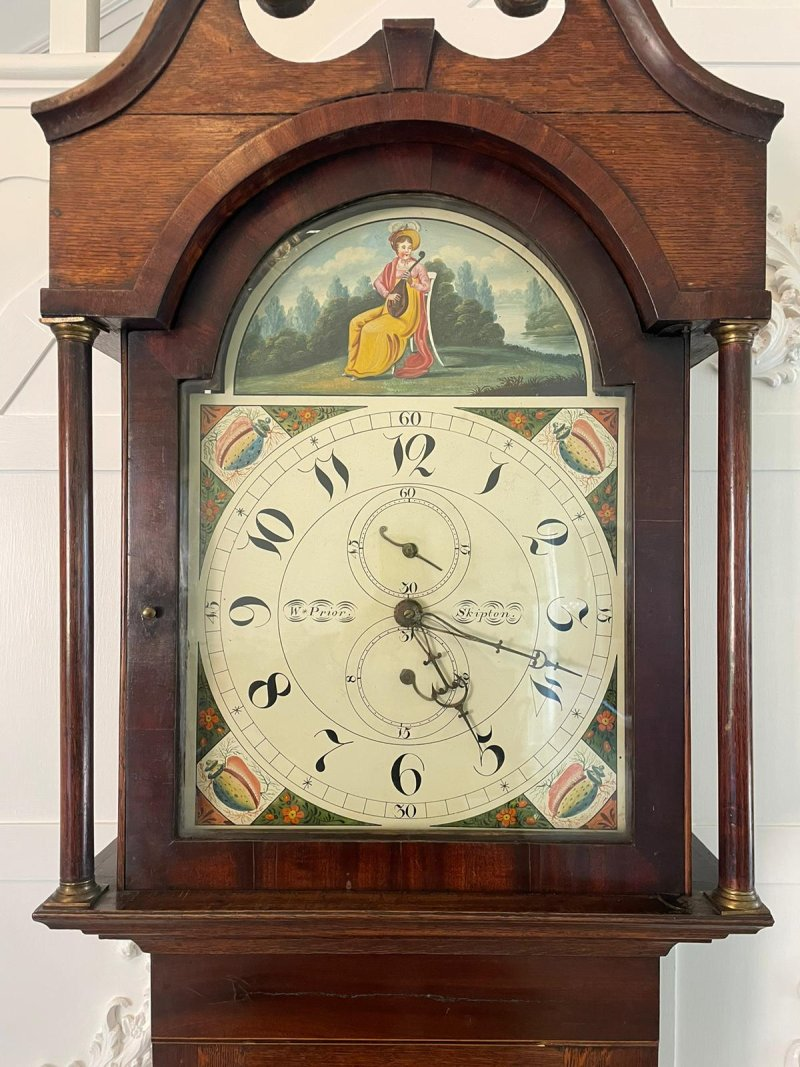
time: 4:59
